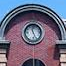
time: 11:25
